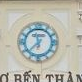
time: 11:37
